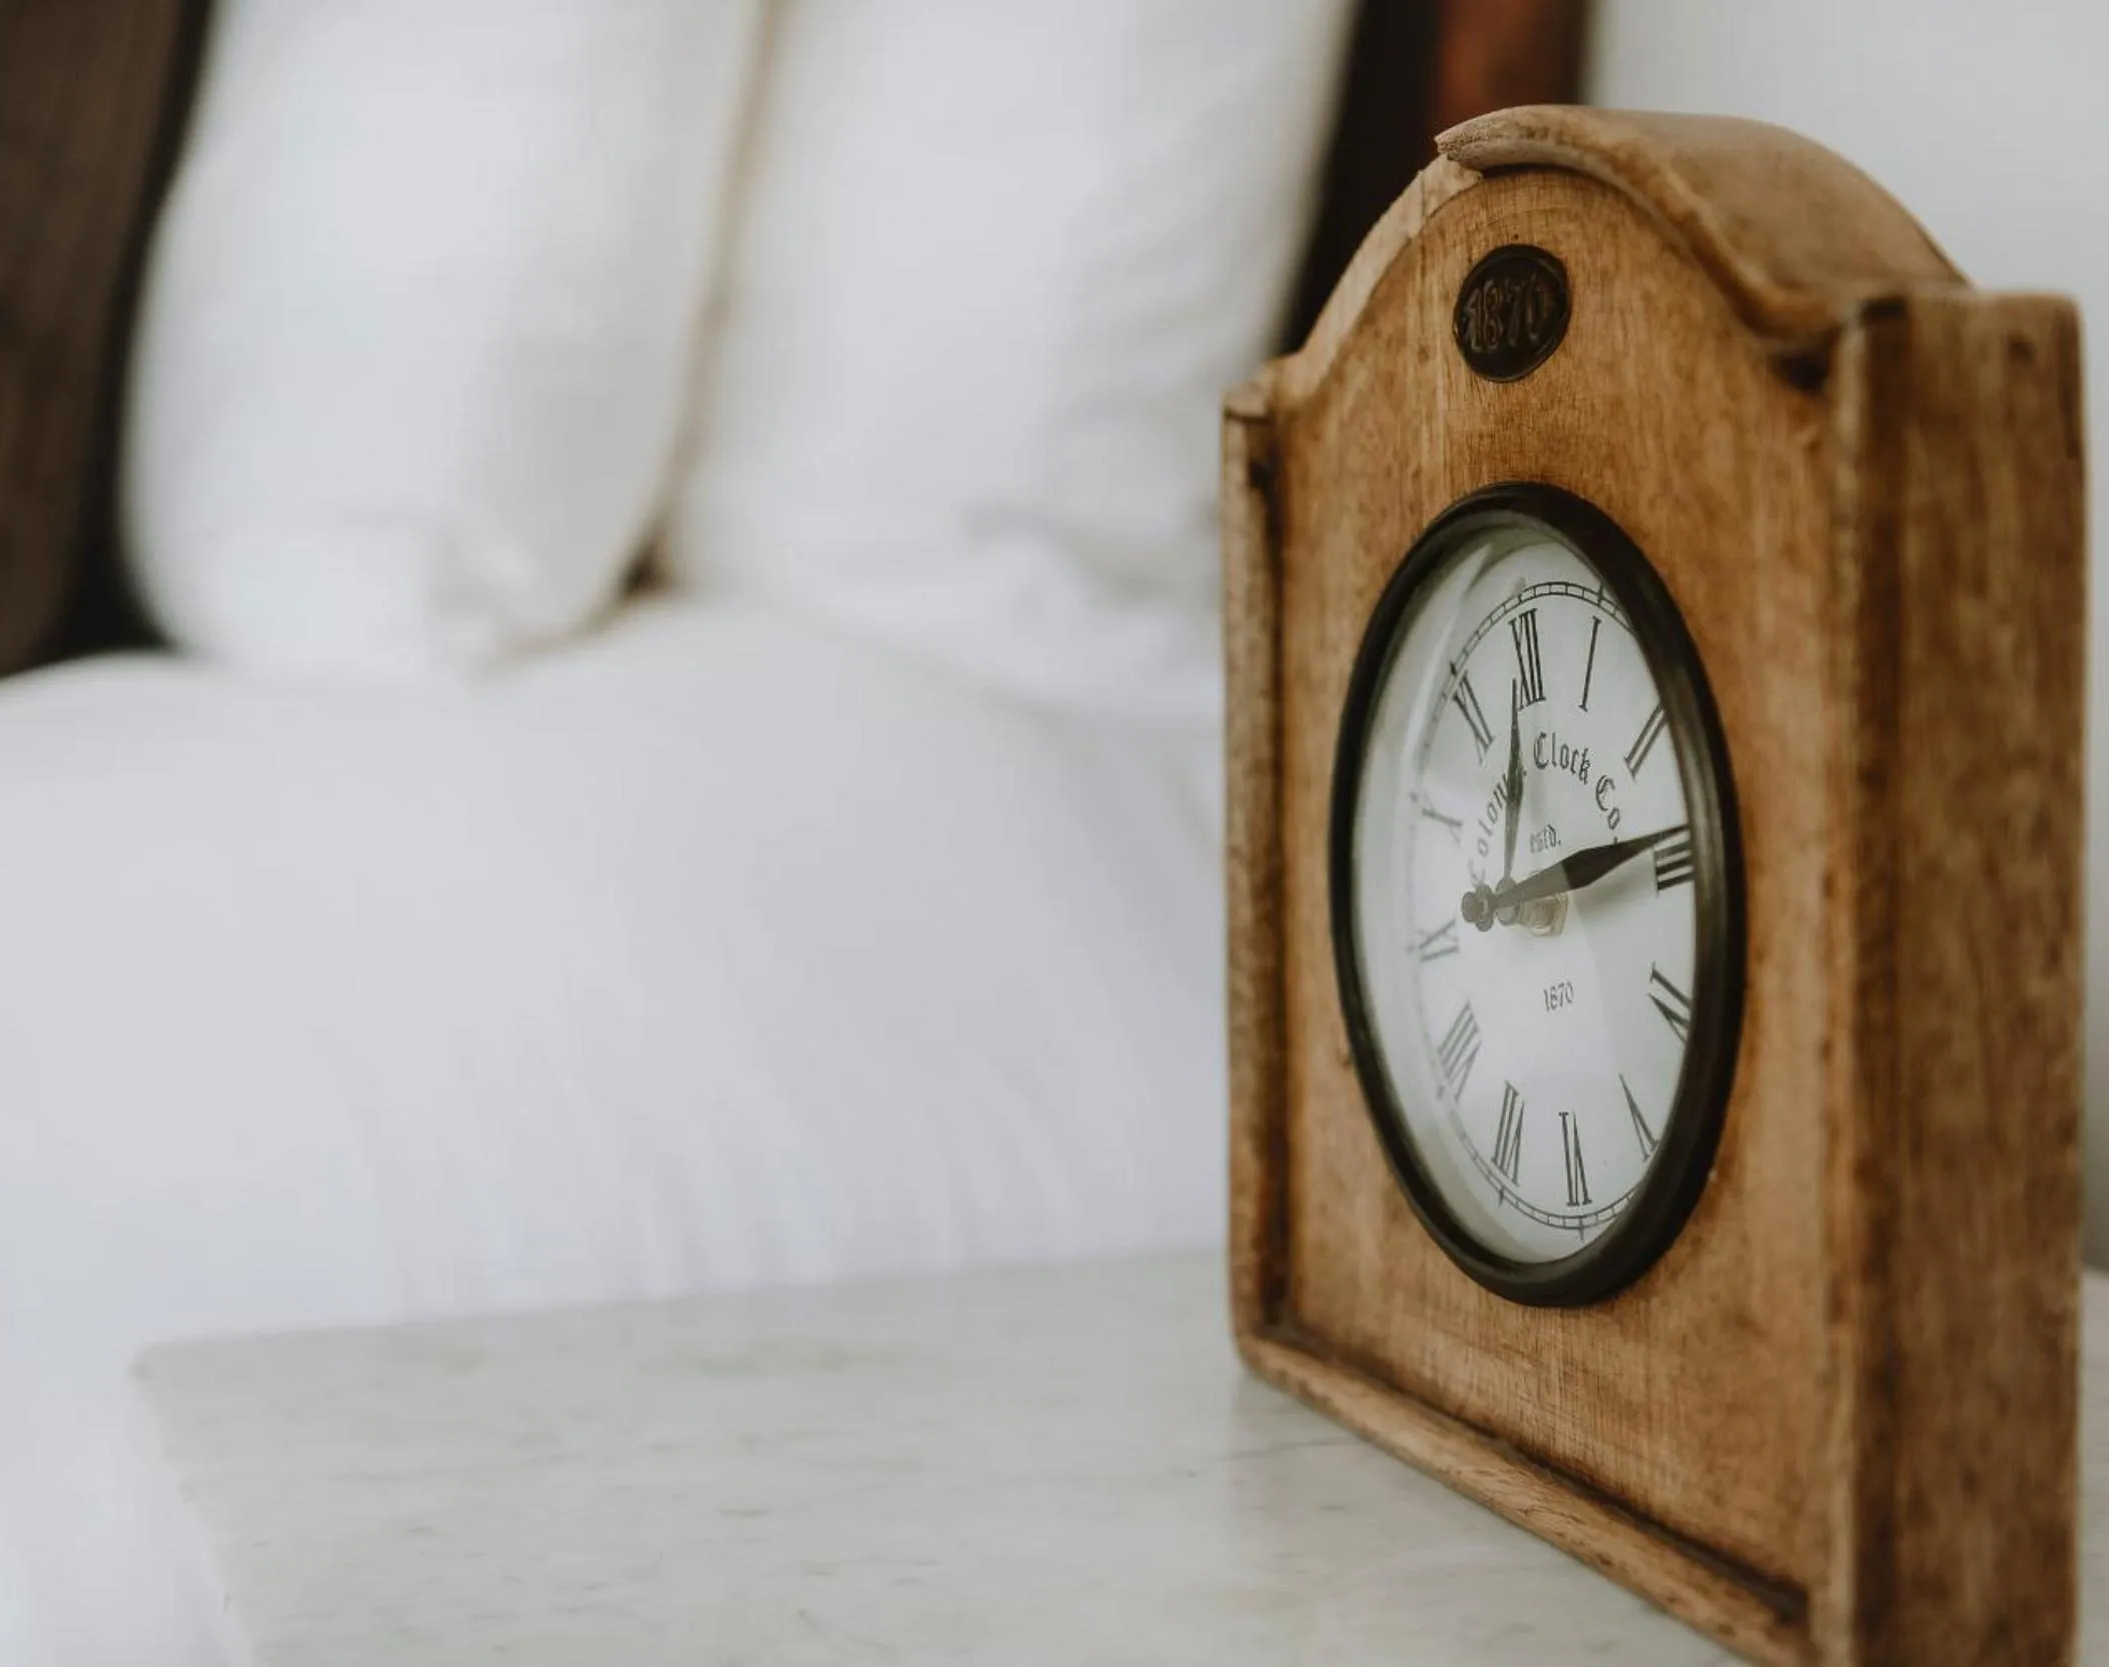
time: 12:13
